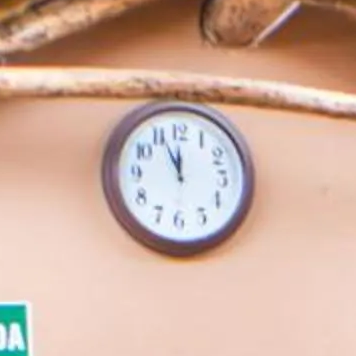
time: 11:55
